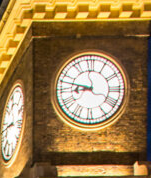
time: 8:47
